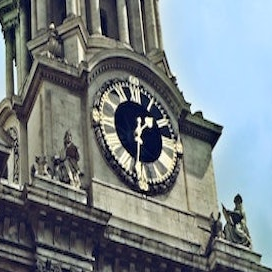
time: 1:32
